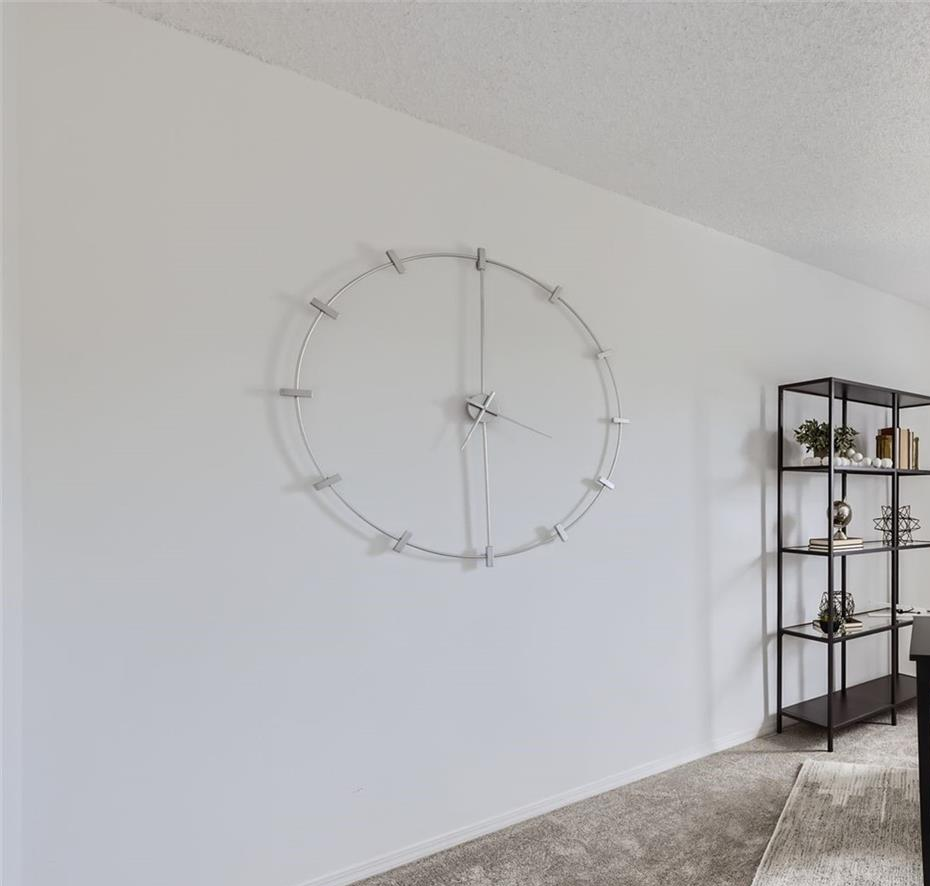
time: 6:00
